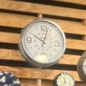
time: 10:02
